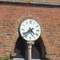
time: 4:38
